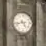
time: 4:42
